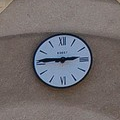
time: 2:45
